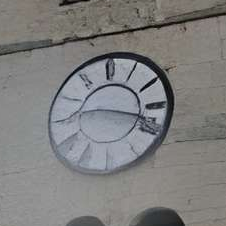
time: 9:17
